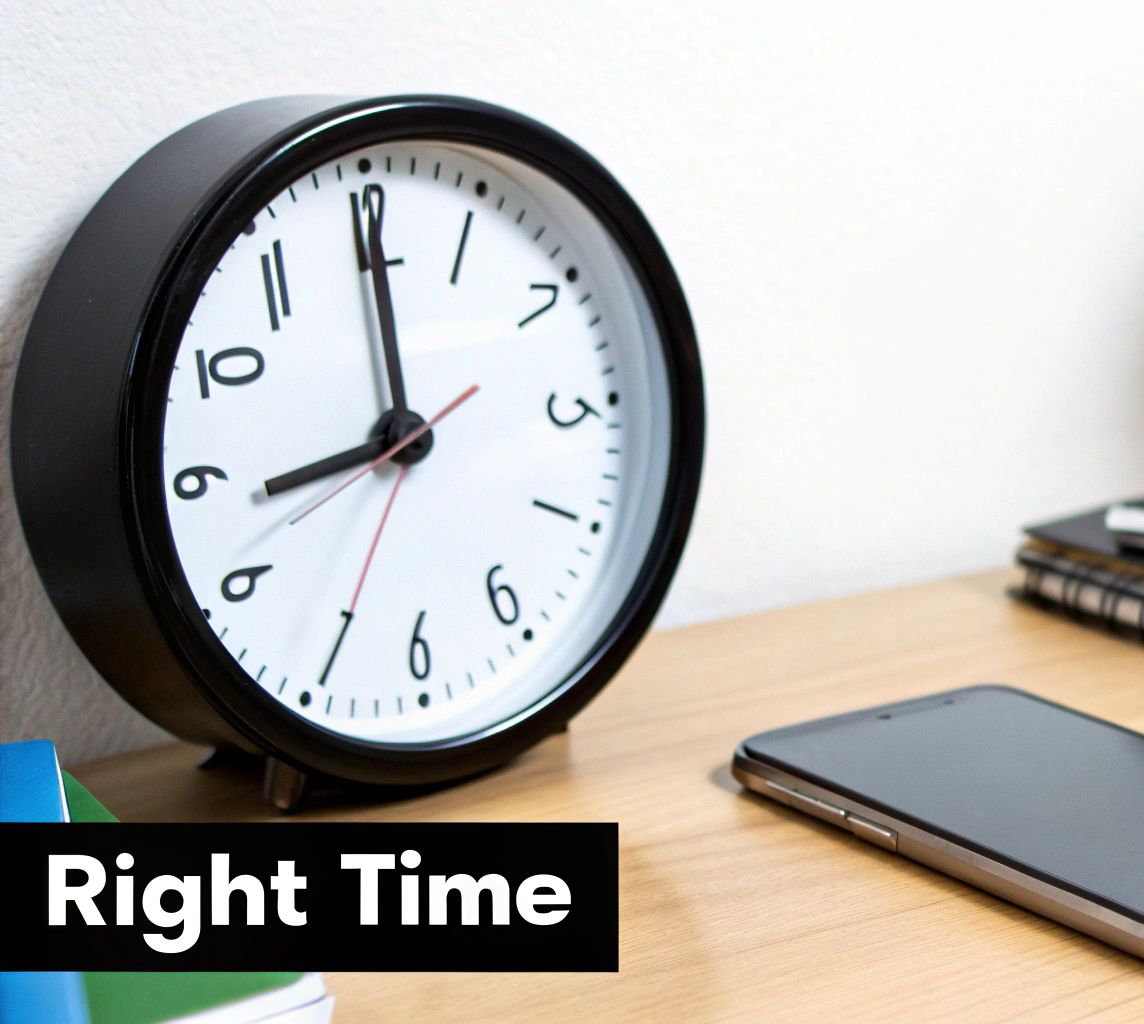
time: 8:59
